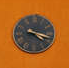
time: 4:17
